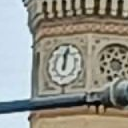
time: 12:02
